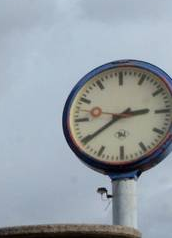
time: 2:39
